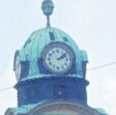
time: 2:08
